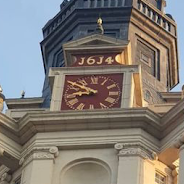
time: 8:50
